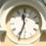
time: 11:33
